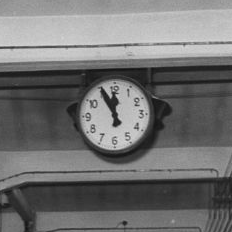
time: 11:55
